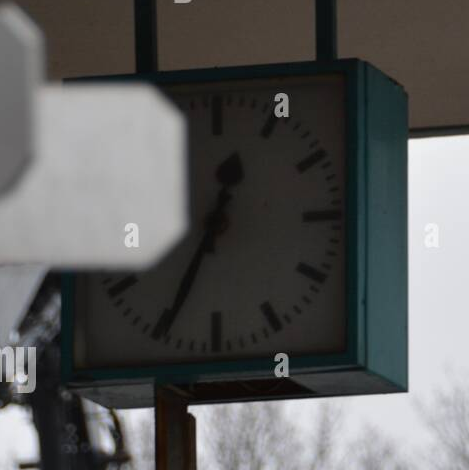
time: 12:34
